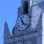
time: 11:21
